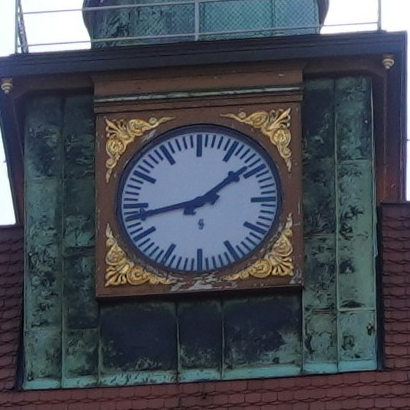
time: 1:43
